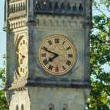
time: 7:48
